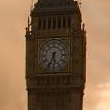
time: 5:33
